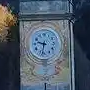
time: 9:32
